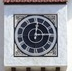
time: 12:14
